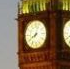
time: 8:03
